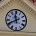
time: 11:40
